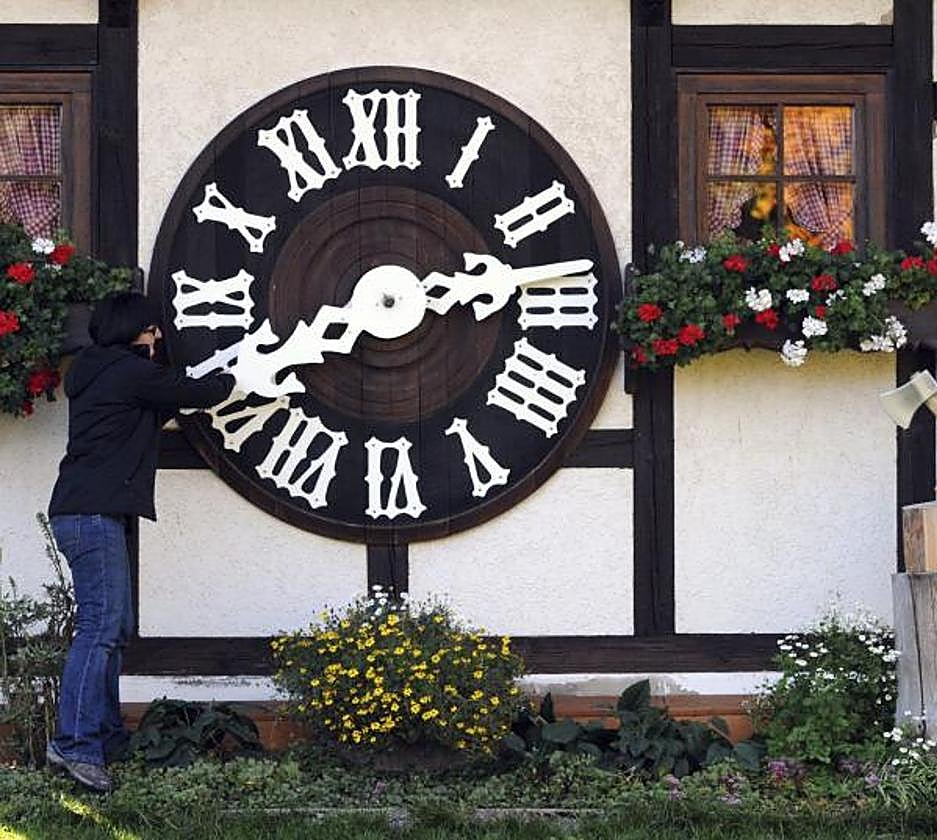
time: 2:40
